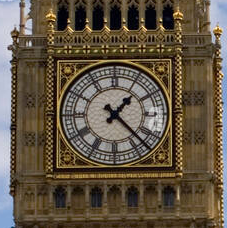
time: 1:22
